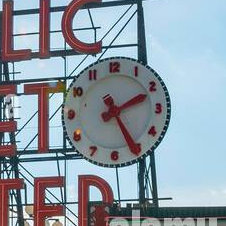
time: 2:25
